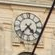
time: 4:36
